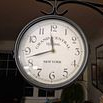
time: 11:42
